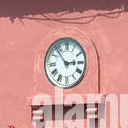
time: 2:53
